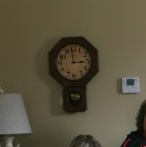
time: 2:59
